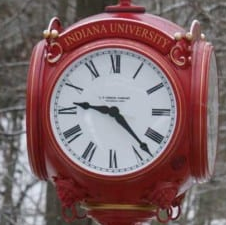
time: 9:22
